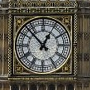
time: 12:53
